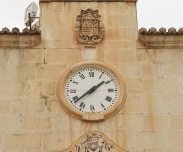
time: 1:38
